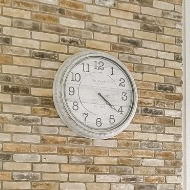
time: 4:21
